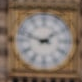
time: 1:47
